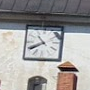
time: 10:39
